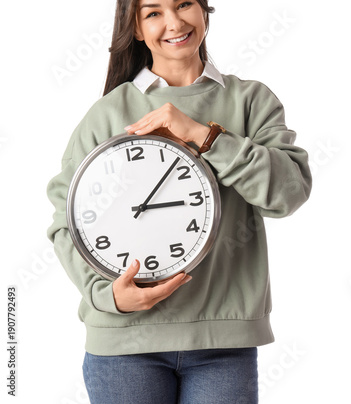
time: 3:07
